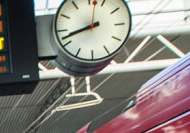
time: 8:42
